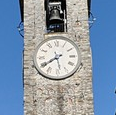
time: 5:39
